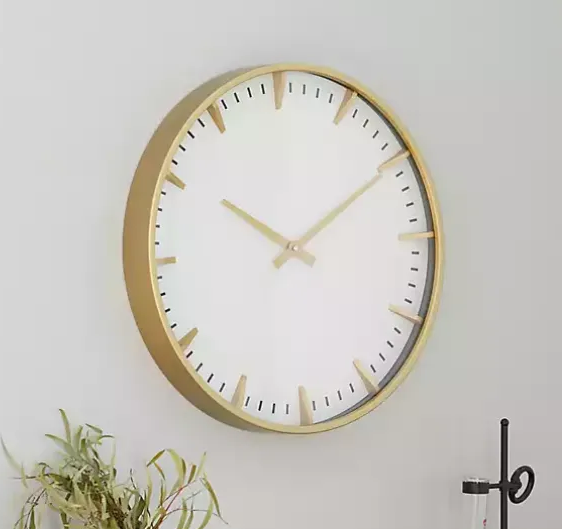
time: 10:10
